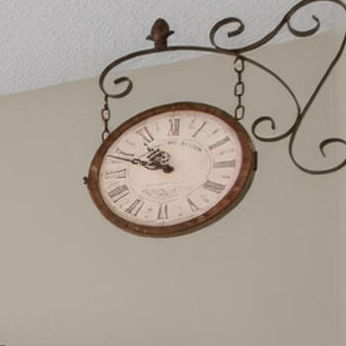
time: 10:48
